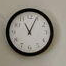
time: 11:04
